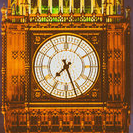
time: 7:26
